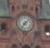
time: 7:07
